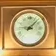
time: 9:07
